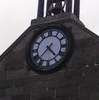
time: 4:36
